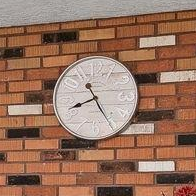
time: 8:25
